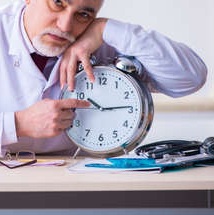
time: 10:14
